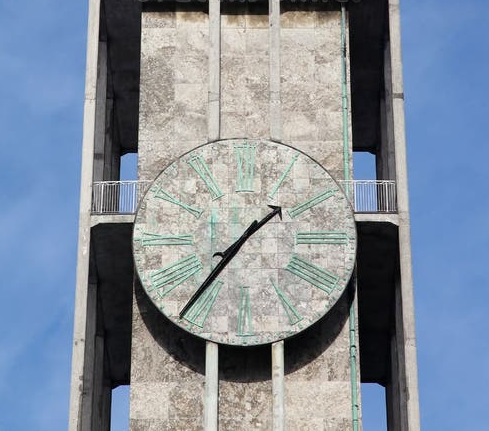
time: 1:36
